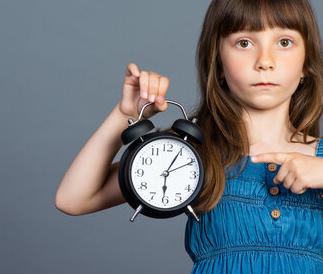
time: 6:05
